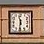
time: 11:31
